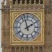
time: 1:57
